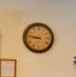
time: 8:47
